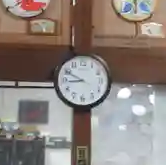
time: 8:49
